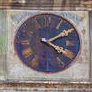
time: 4:09
